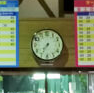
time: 7:35
